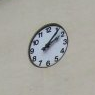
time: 2:06
